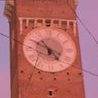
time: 4:48
